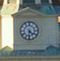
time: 4:31
